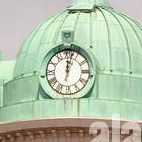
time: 12:02
